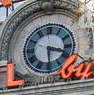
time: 3:29
